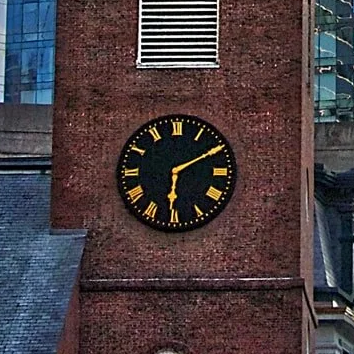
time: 6:10
